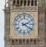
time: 2:21
